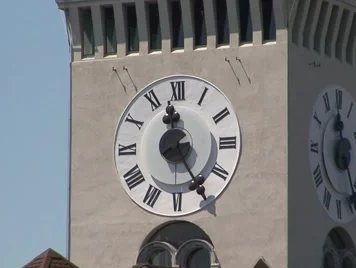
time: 11:24
